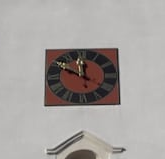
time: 11:49
